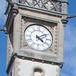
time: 4:09
